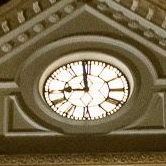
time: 8:59
